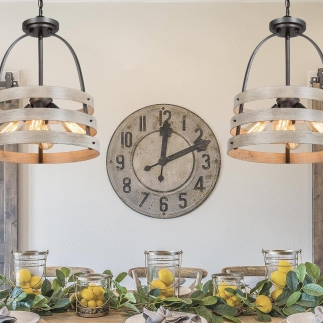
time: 12:11
